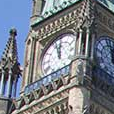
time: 11:56
